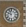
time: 9:57
